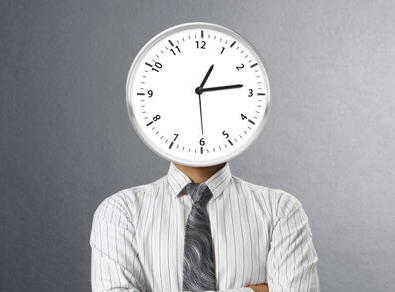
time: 1:13
